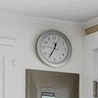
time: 12:35
